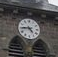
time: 4:44
